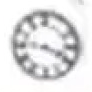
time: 3:46
